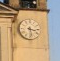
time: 3:28
